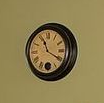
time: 11:19
